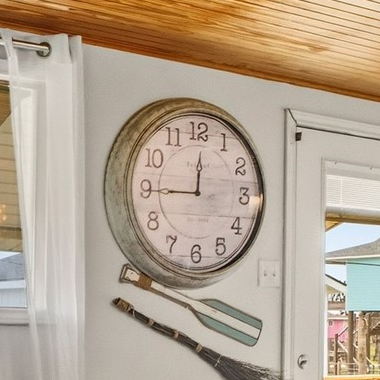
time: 11:44
